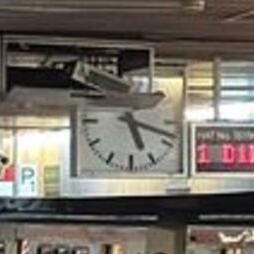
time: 5:18
